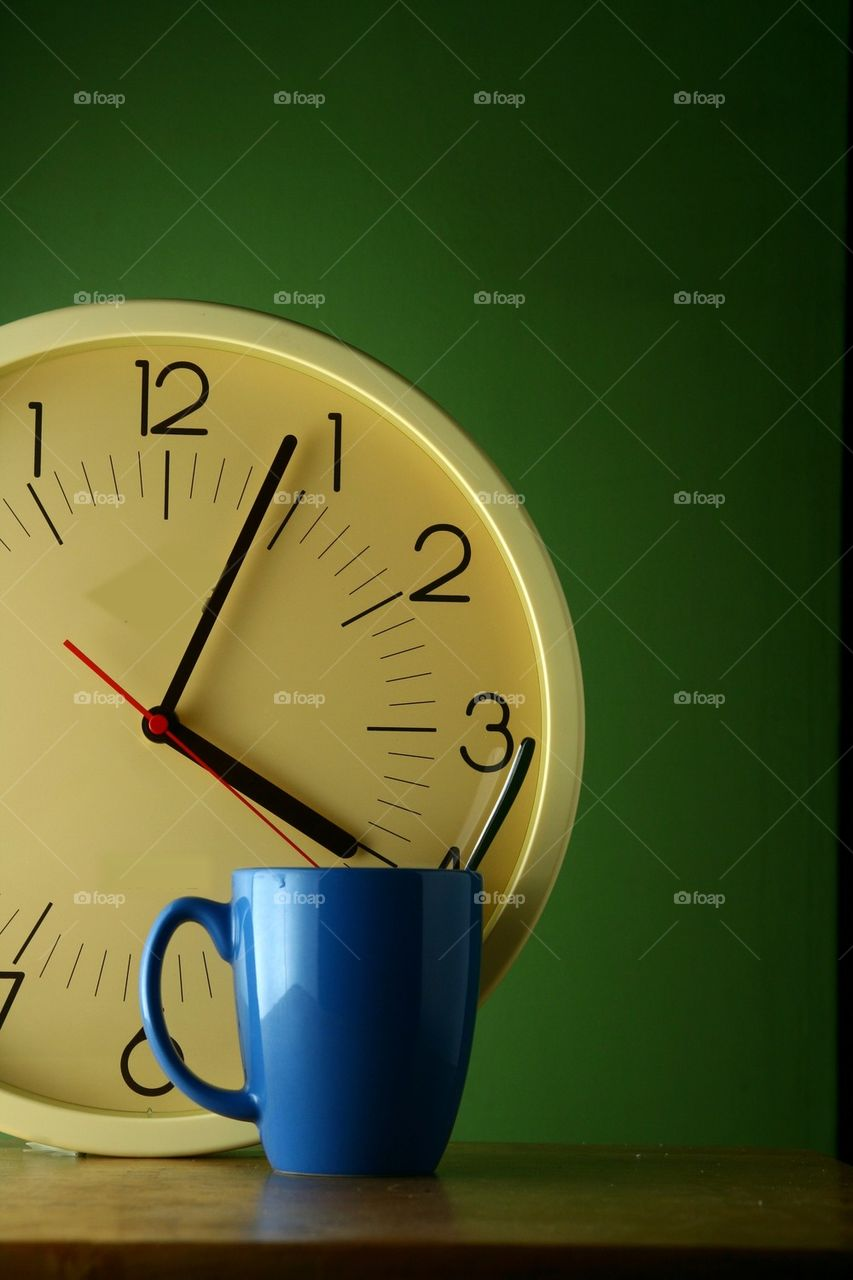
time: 4:04
